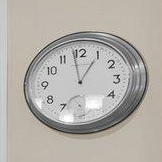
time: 12:58
